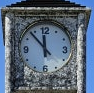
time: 11:53
